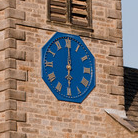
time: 6:00
